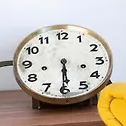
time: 5:29
